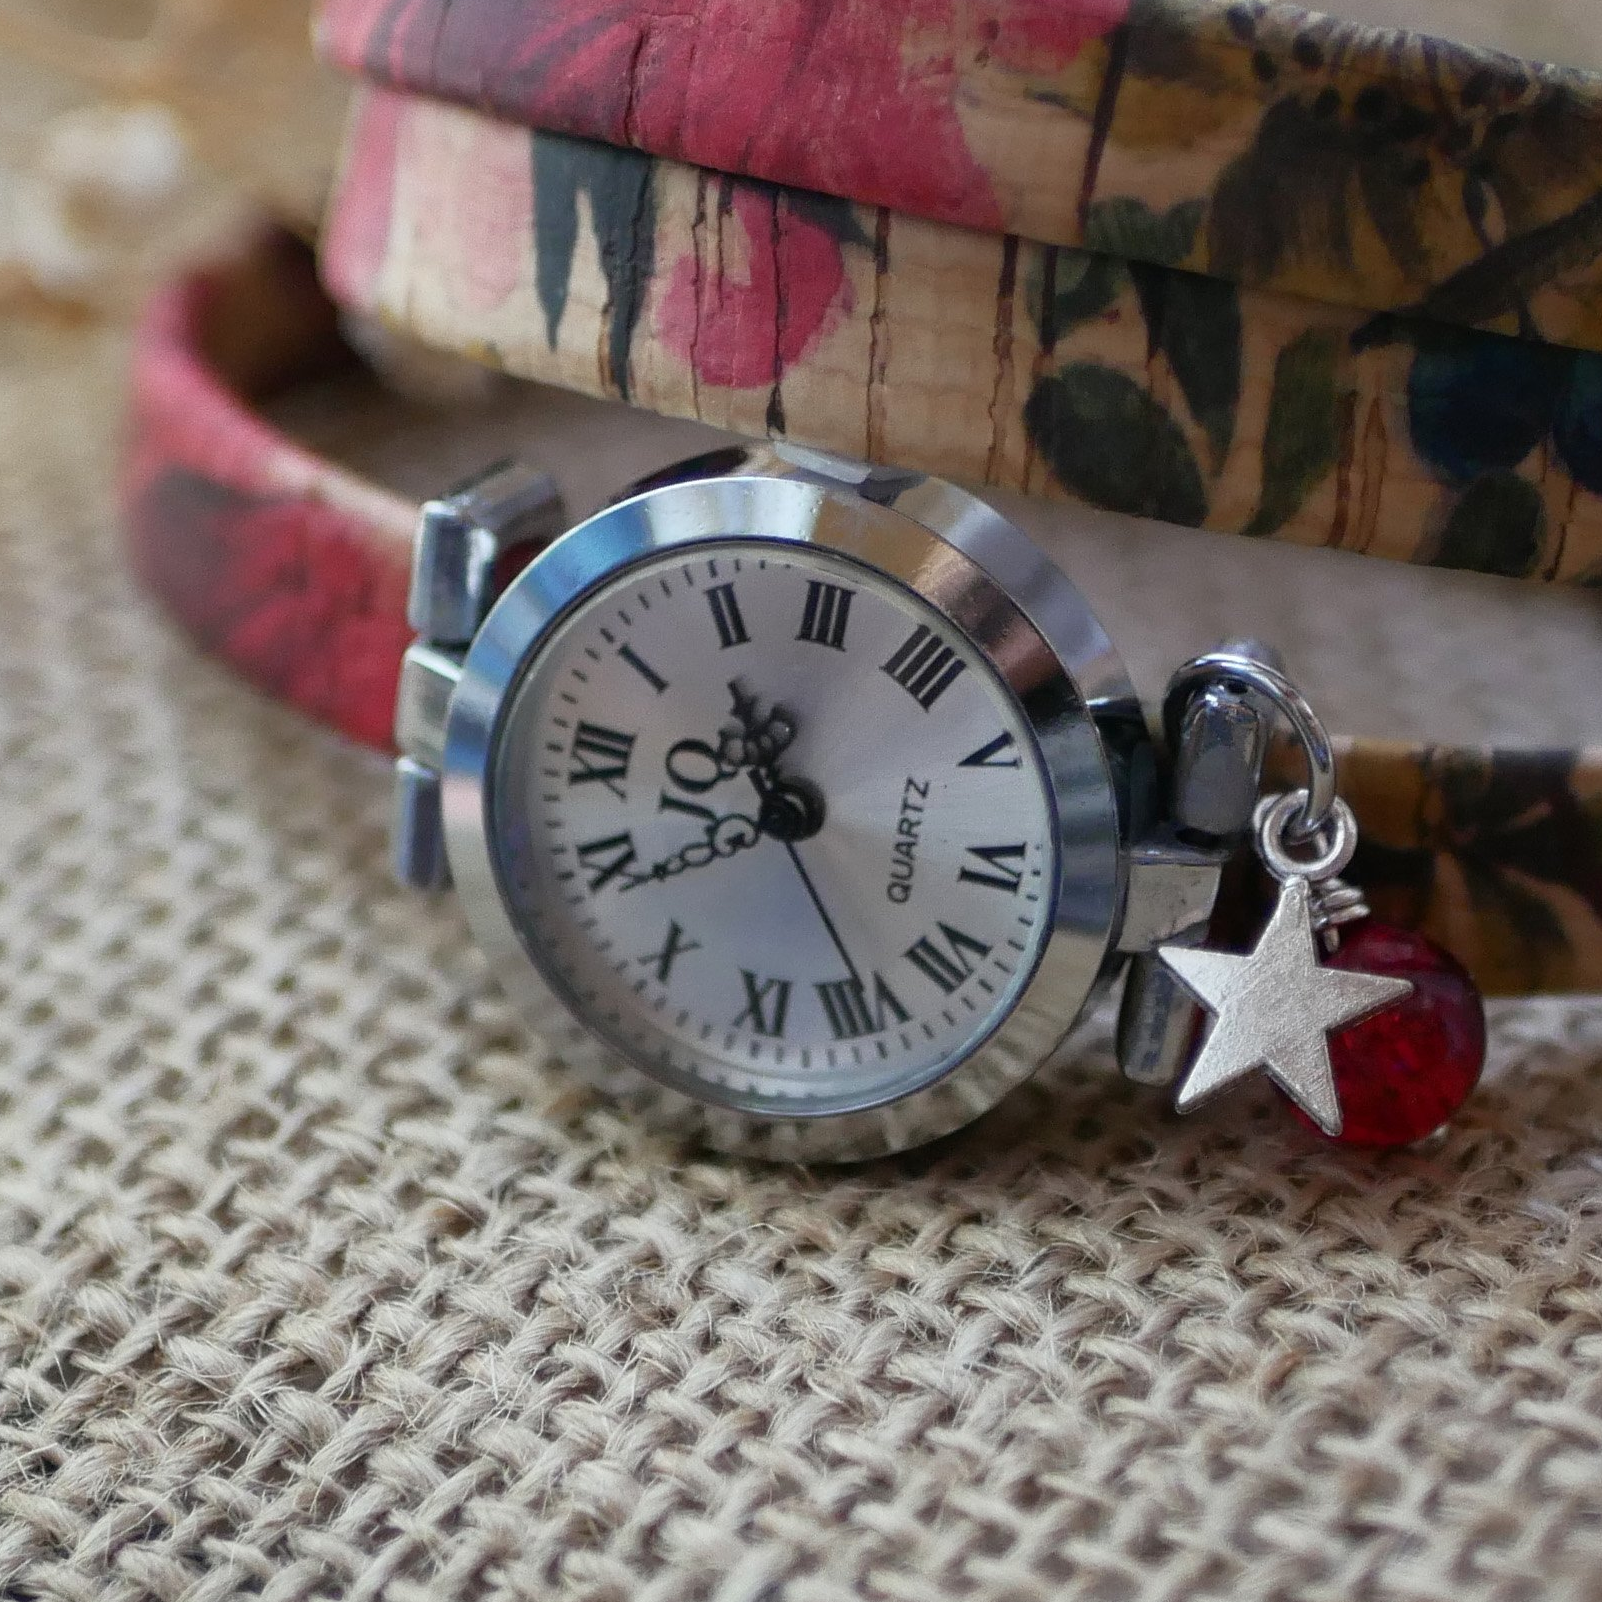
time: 10:39
